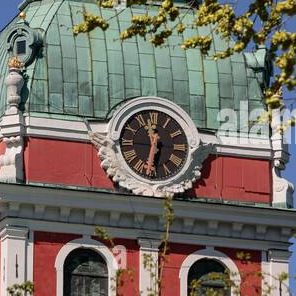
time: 11:32
